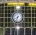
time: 7:32
